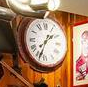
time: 1:33
